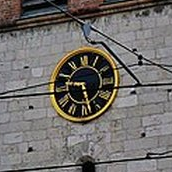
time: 9:27
